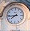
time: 7:43
